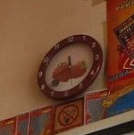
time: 11:41
